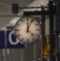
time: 12:04
